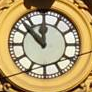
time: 11:52
